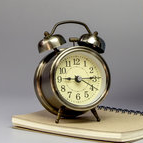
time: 9:14
